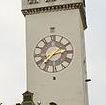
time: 2:38
